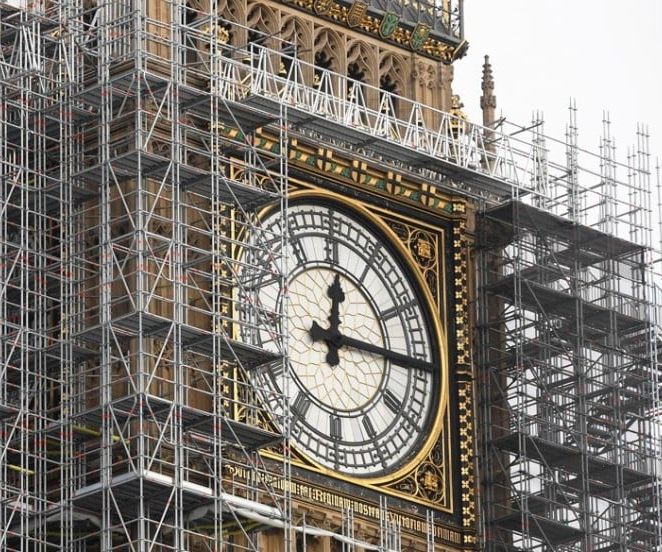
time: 12:14
